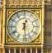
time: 12:28
